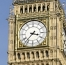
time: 3:37
